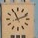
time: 11:11
